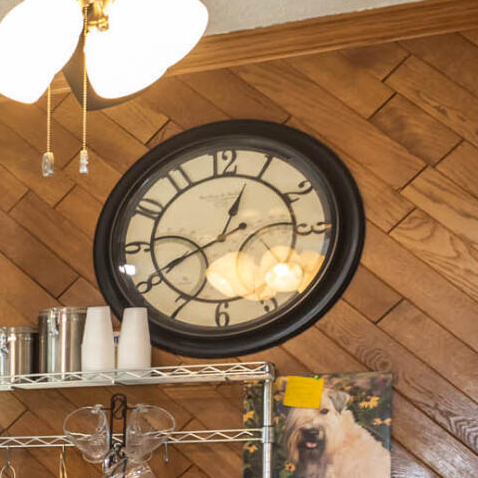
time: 12:40
